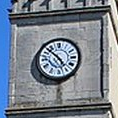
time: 4:52
